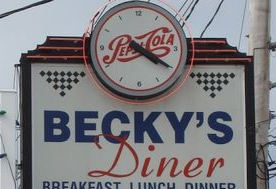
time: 4:20
